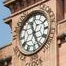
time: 11:25
